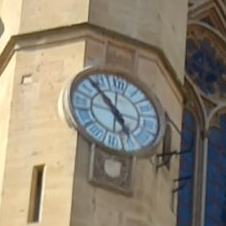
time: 4:52
